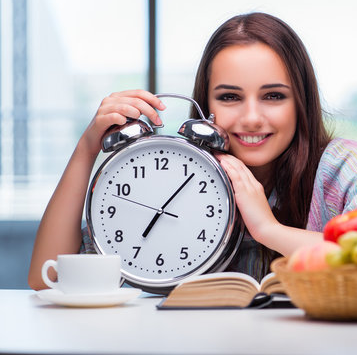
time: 7:07
